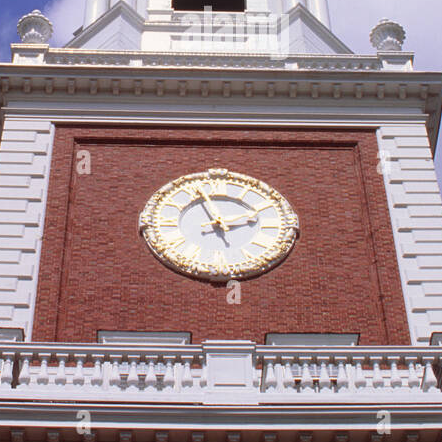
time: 2:56
